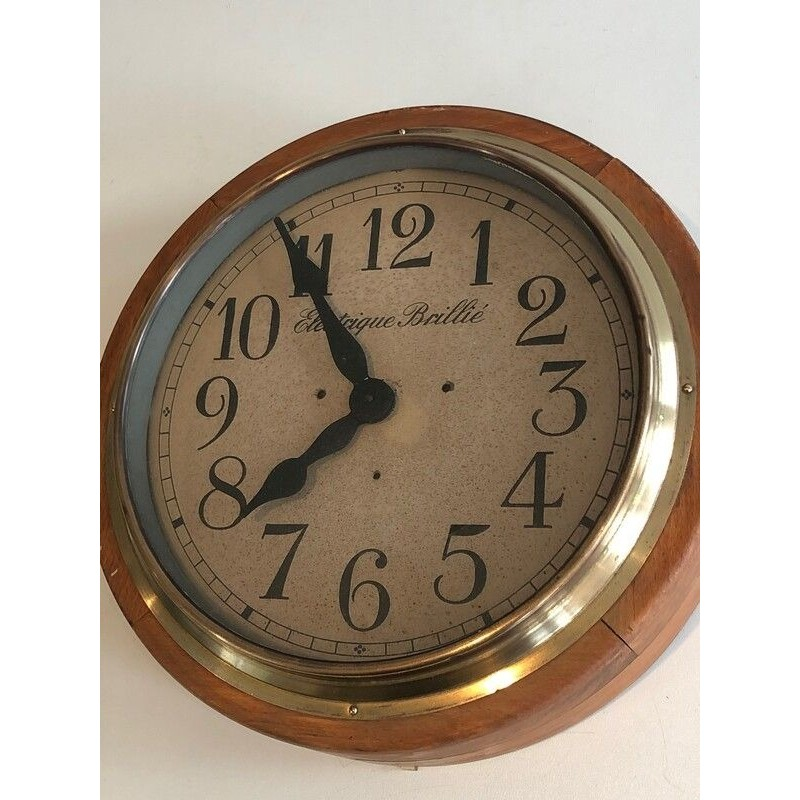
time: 7:54
